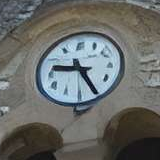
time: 9:25
